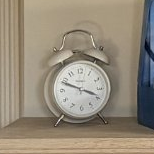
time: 3:48
